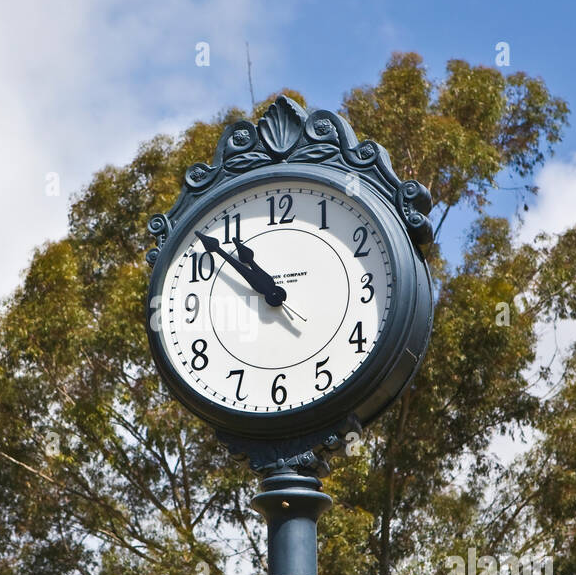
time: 10:52
